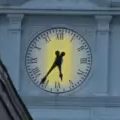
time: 5:35
